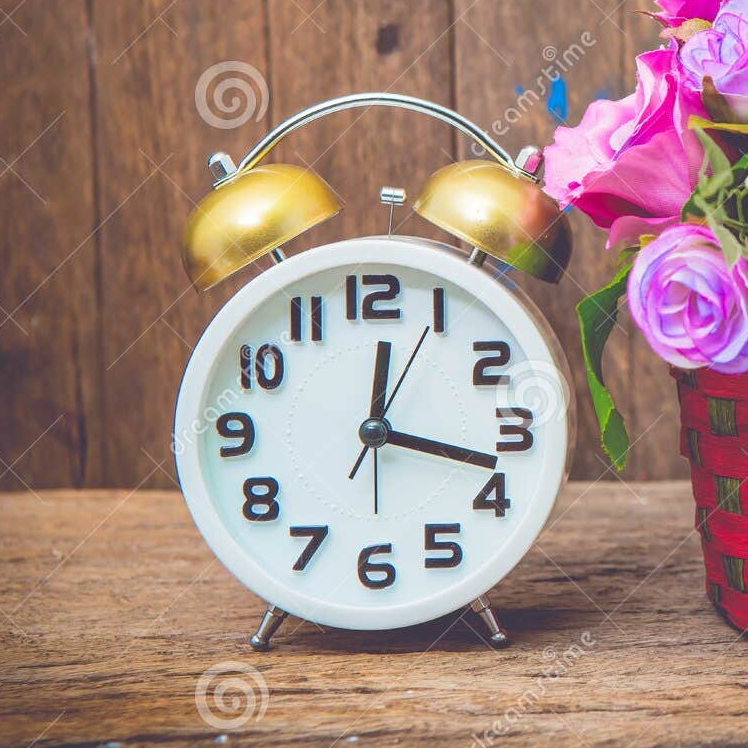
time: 12:17
